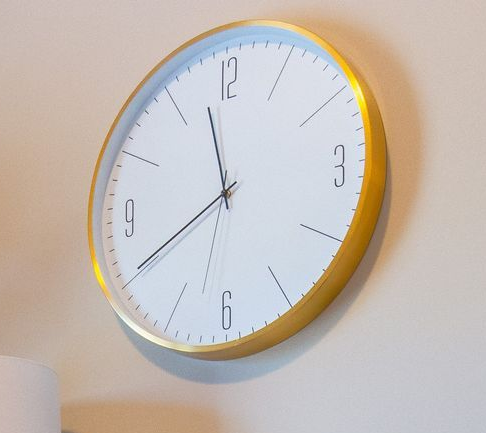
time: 11:40
